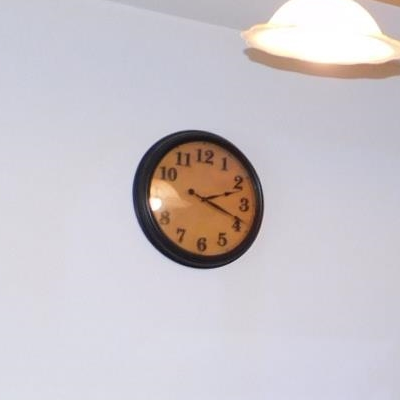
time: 2:18
